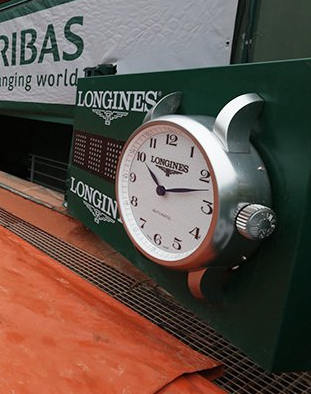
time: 10:12
